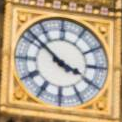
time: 3:51
